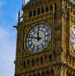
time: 11:47
